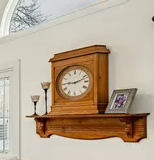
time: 9:12
